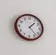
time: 1:22
